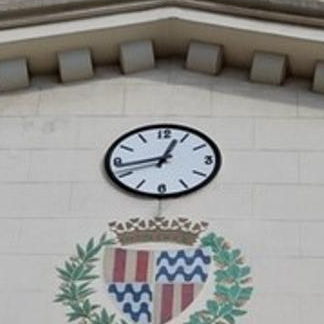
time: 12:43
